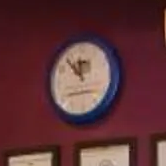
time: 11:53
